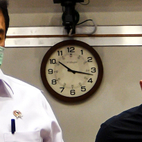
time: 10:17
